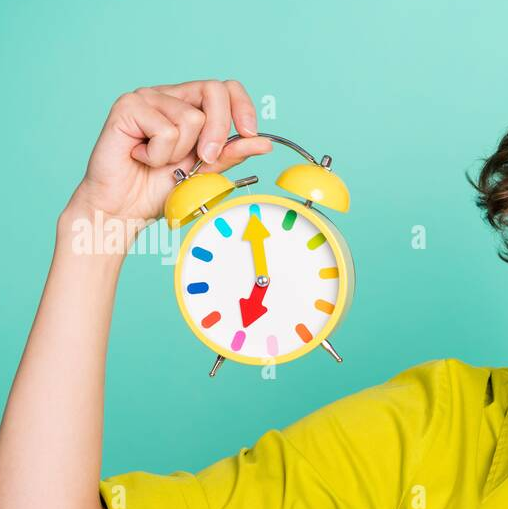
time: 7:00
